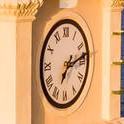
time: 7:13
